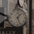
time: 1:26
